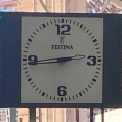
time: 2:43
